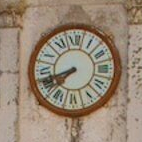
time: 7:41
